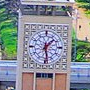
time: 1:28
